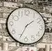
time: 1:34
